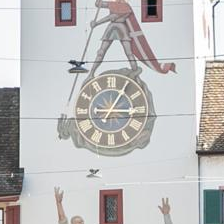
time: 3:05
